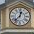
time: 12:37
